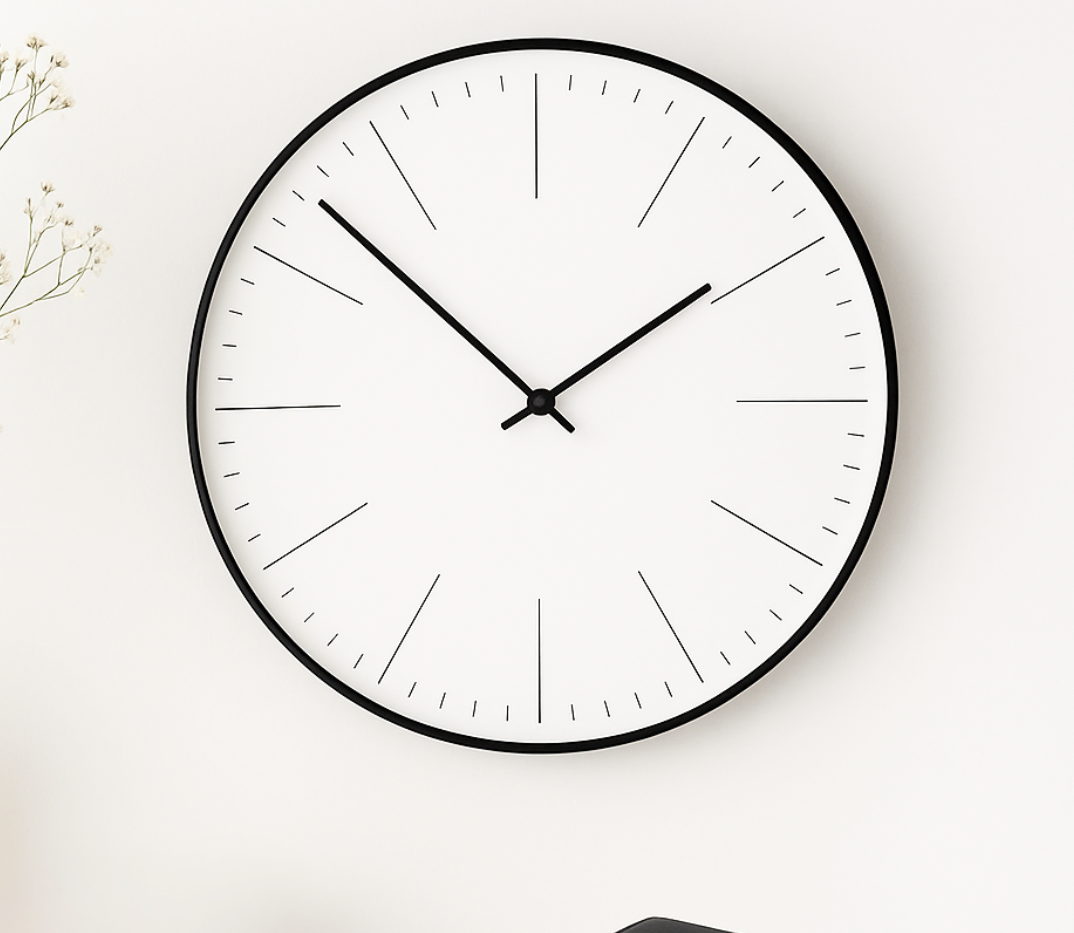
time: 1:52
